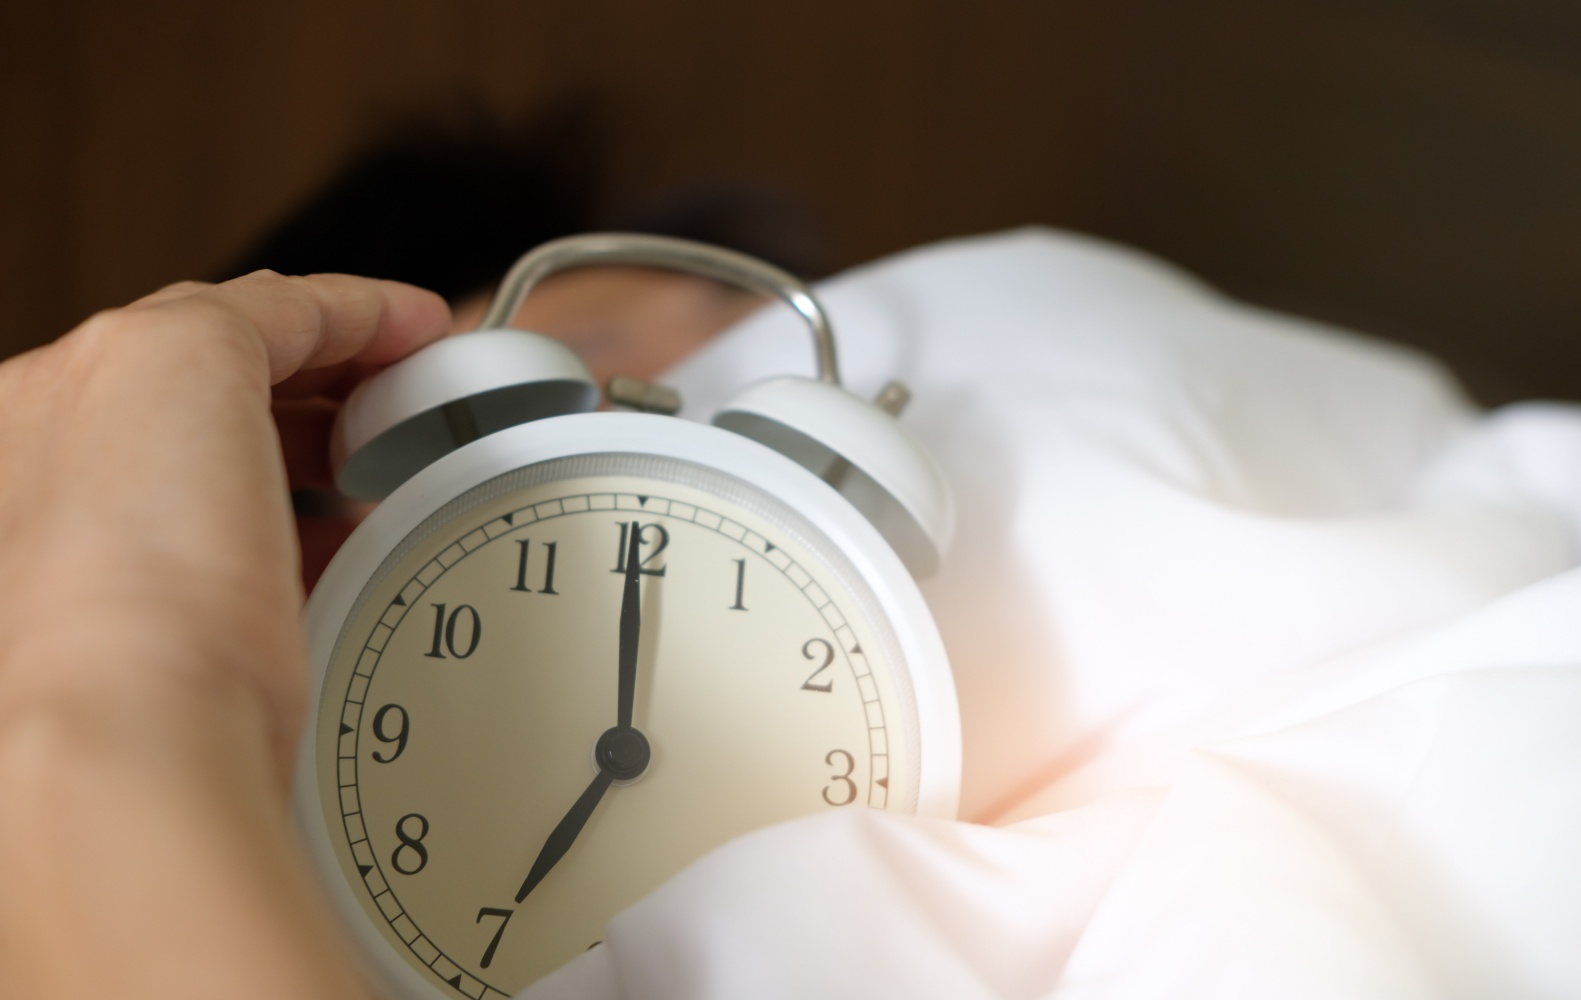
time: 7:00
